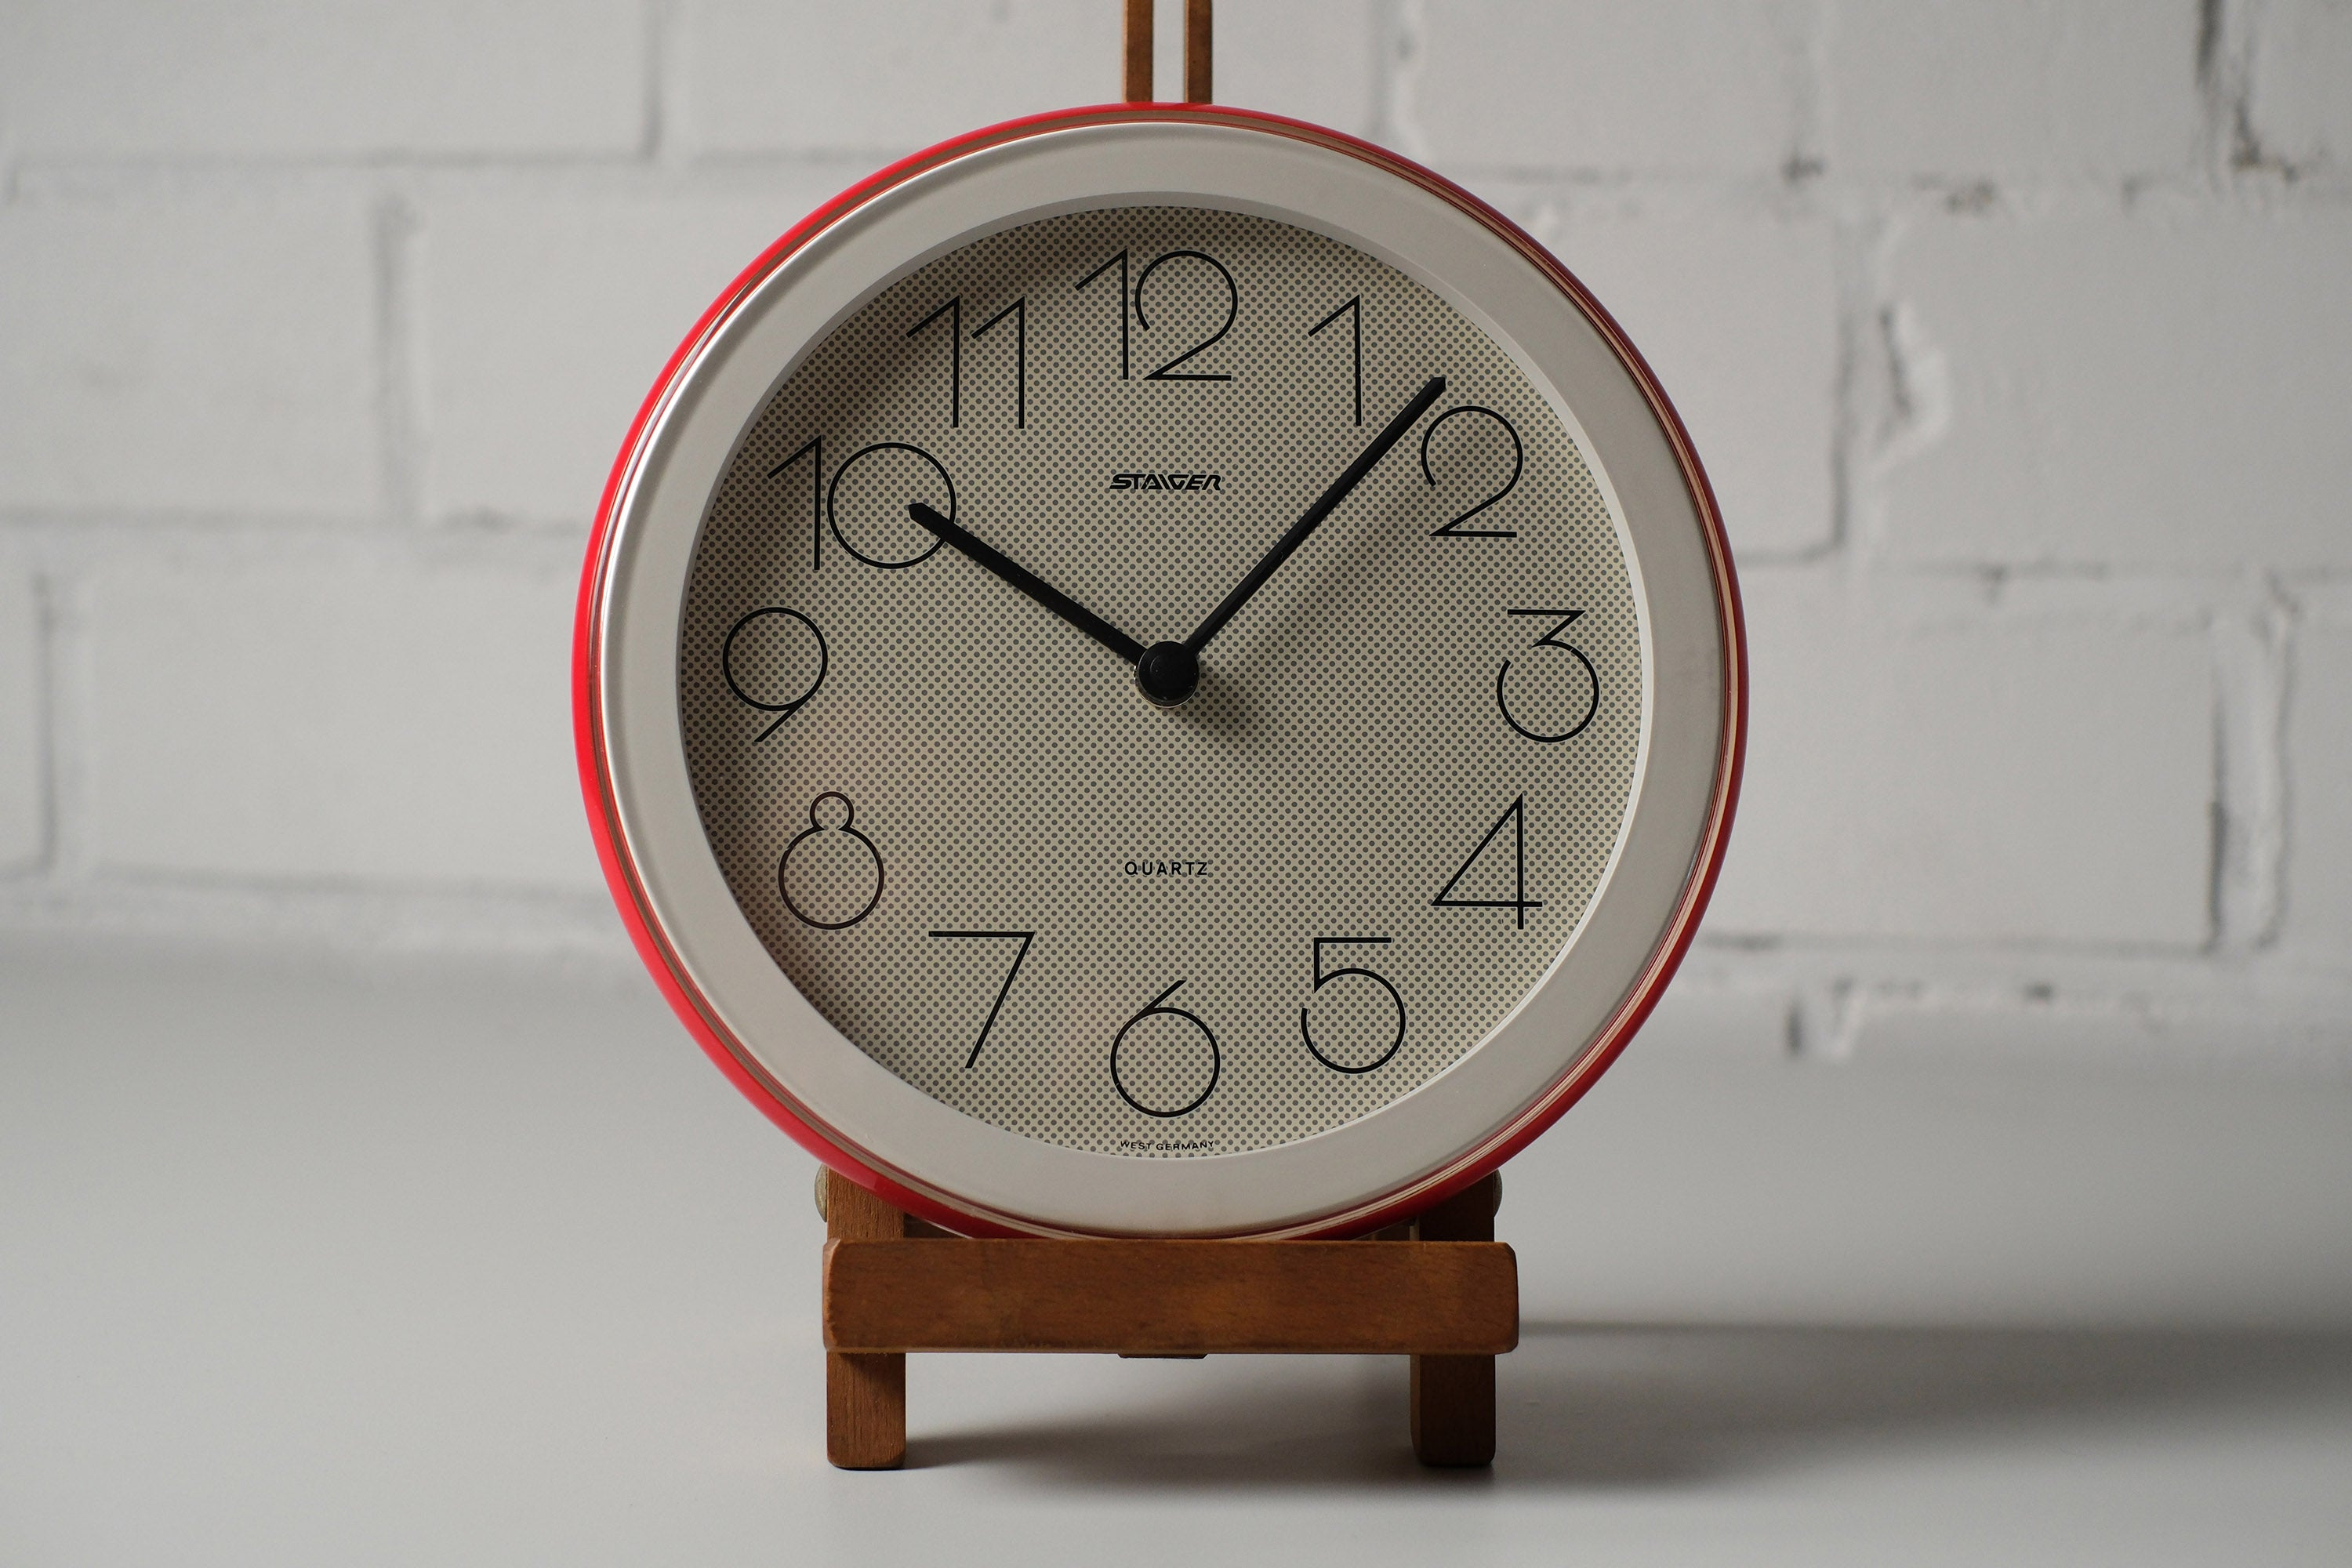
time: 10:07
